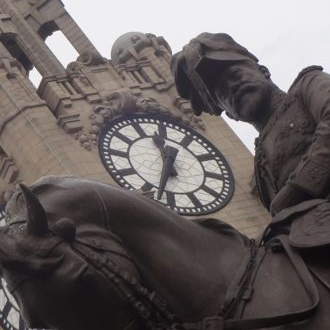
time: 11:32
